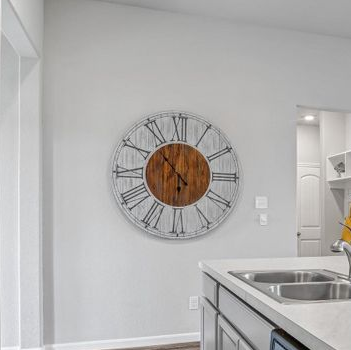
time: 5:53
